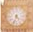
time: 4:33
